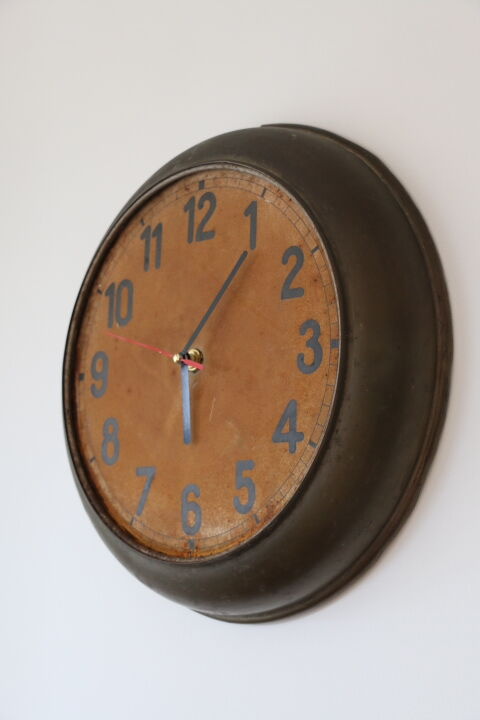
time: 6:06
